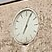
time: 7:04
